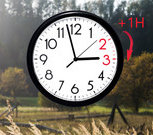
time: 2:57
